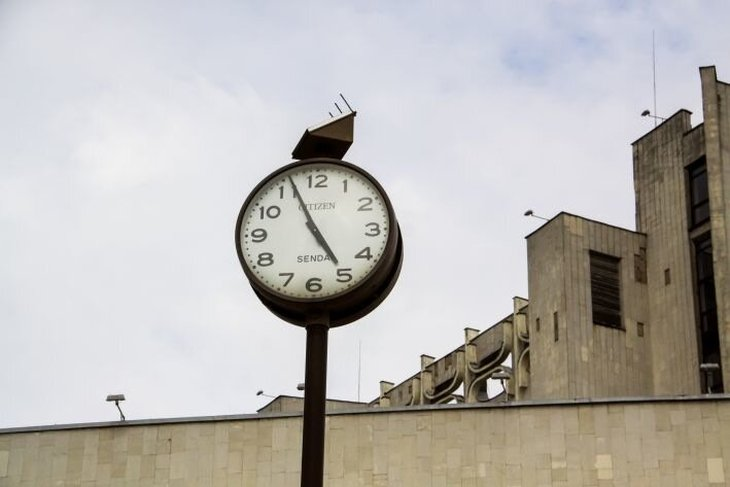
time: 4:56
